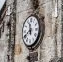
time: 11:40
